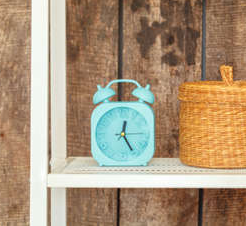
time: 12:24
